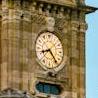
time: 8:23
